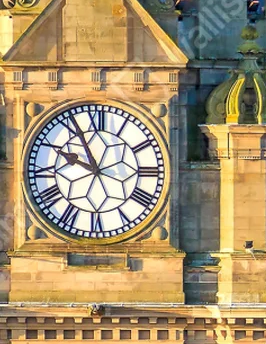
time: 9:55
